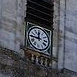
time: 11:45
